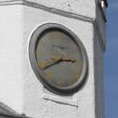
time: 2:40
